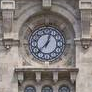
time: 12:37
